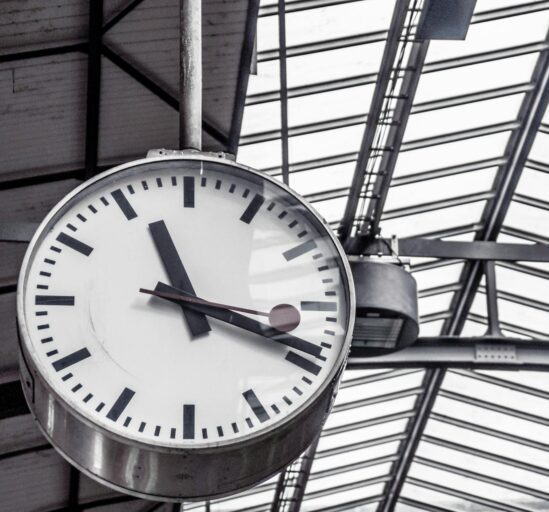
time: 11:18
